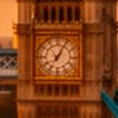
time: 7:04
